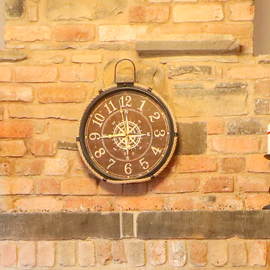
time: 11:44
